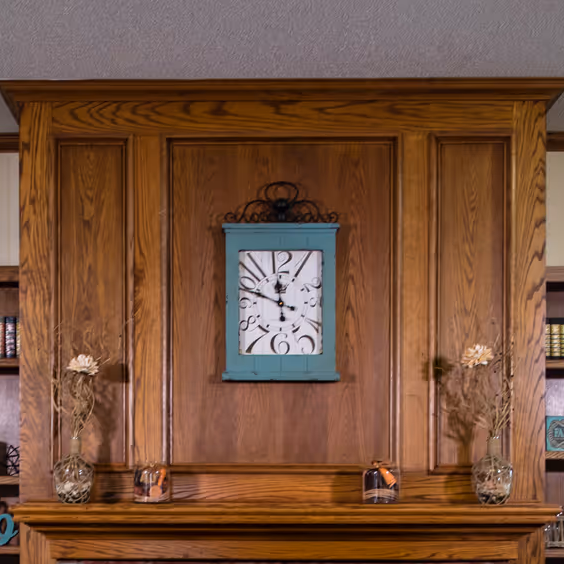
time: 11:46
